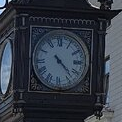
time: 4:22
